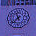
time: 11:37
